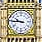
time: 9:45
